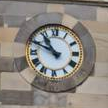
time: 10:49
